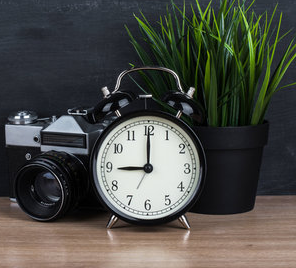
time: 9:00
